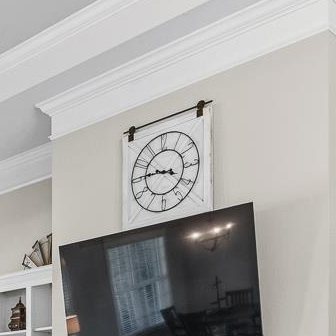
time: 3:45
